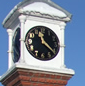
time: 11:21
